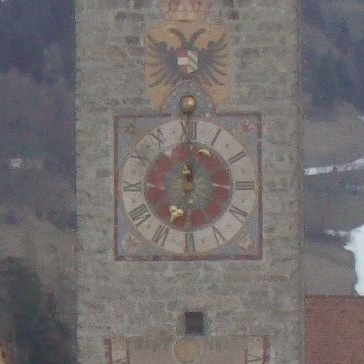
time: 12:00
